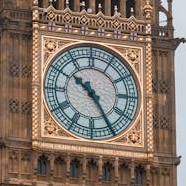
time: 10:24
